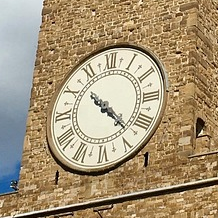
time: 10:22
